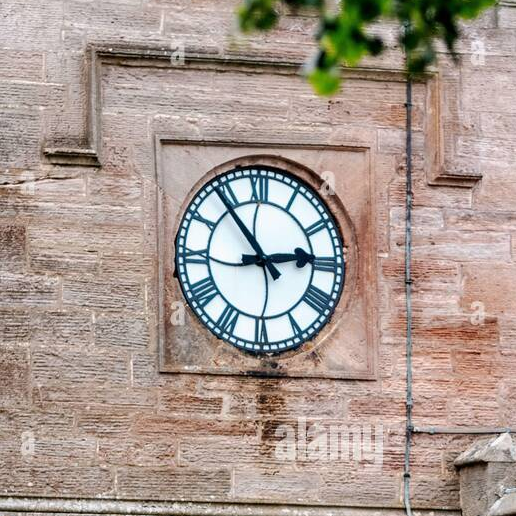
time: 2:53
